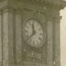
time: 11:37
